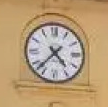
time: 4:37
